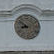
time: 8:52
